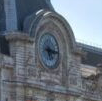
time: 5:15
